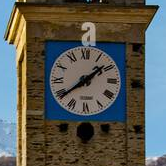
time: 1:39
